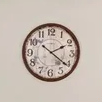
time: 2:21
